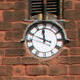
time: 11:48
